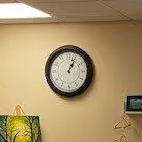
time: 1:03
